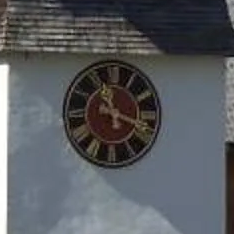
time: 11:18
